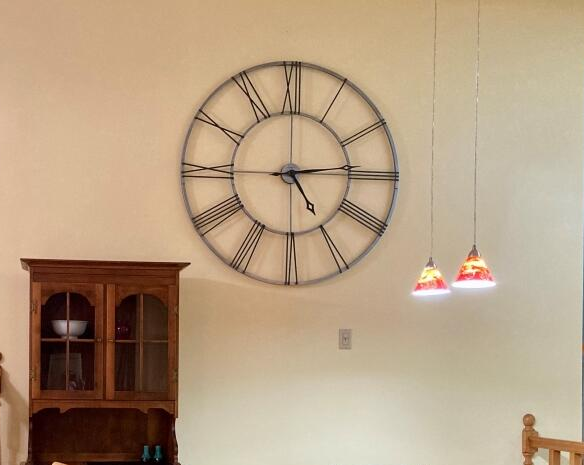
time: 5:14
